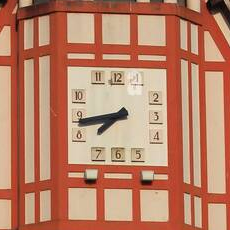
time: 7:43
